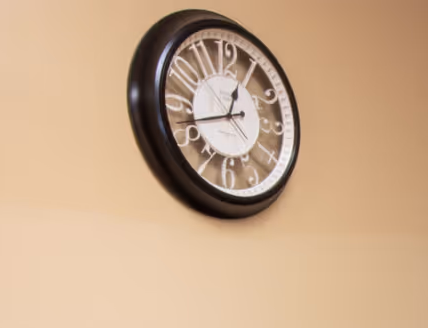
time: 12:42
